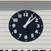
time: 1:07
